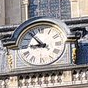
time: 8:53
